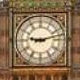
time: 9:12
